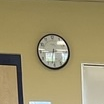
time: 6:14
